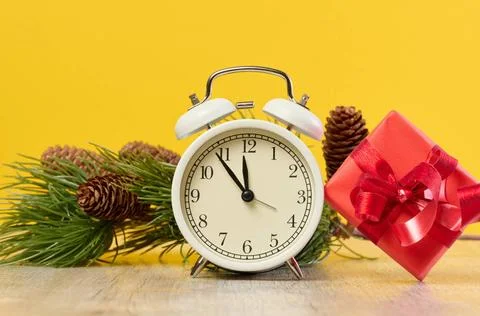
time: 11:53
